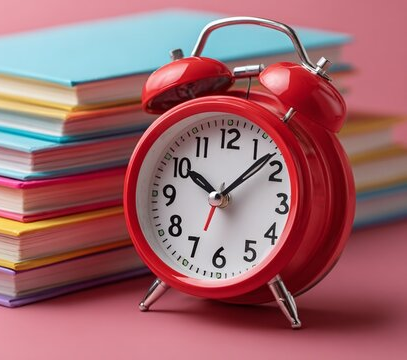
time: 10:07
